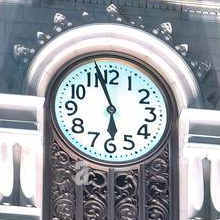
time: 5:57
